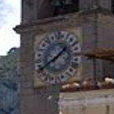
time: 1:39
